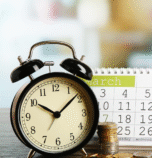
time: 10:08
